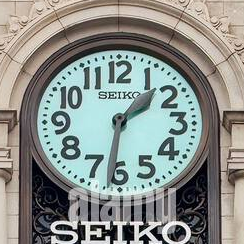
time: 1:31
